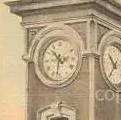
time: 10:31
